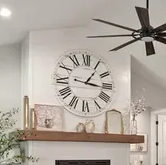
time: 1:16
